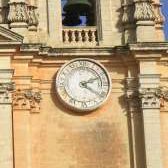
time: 2:20
